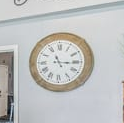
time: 11:15
